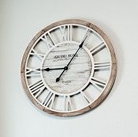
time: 9:05
